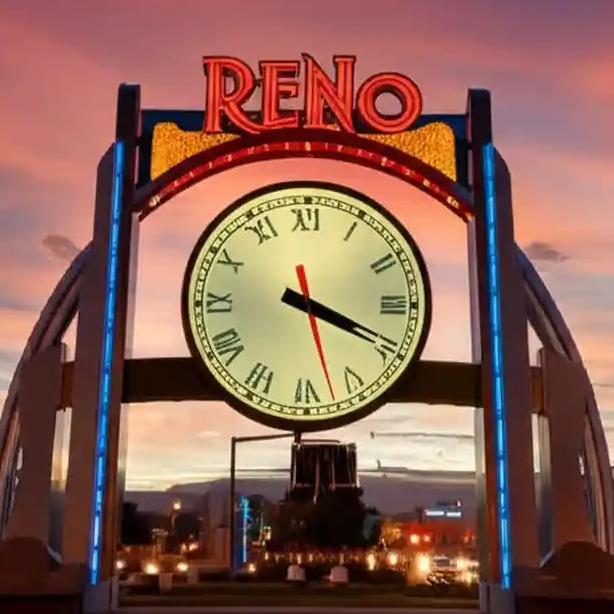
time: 4:19
